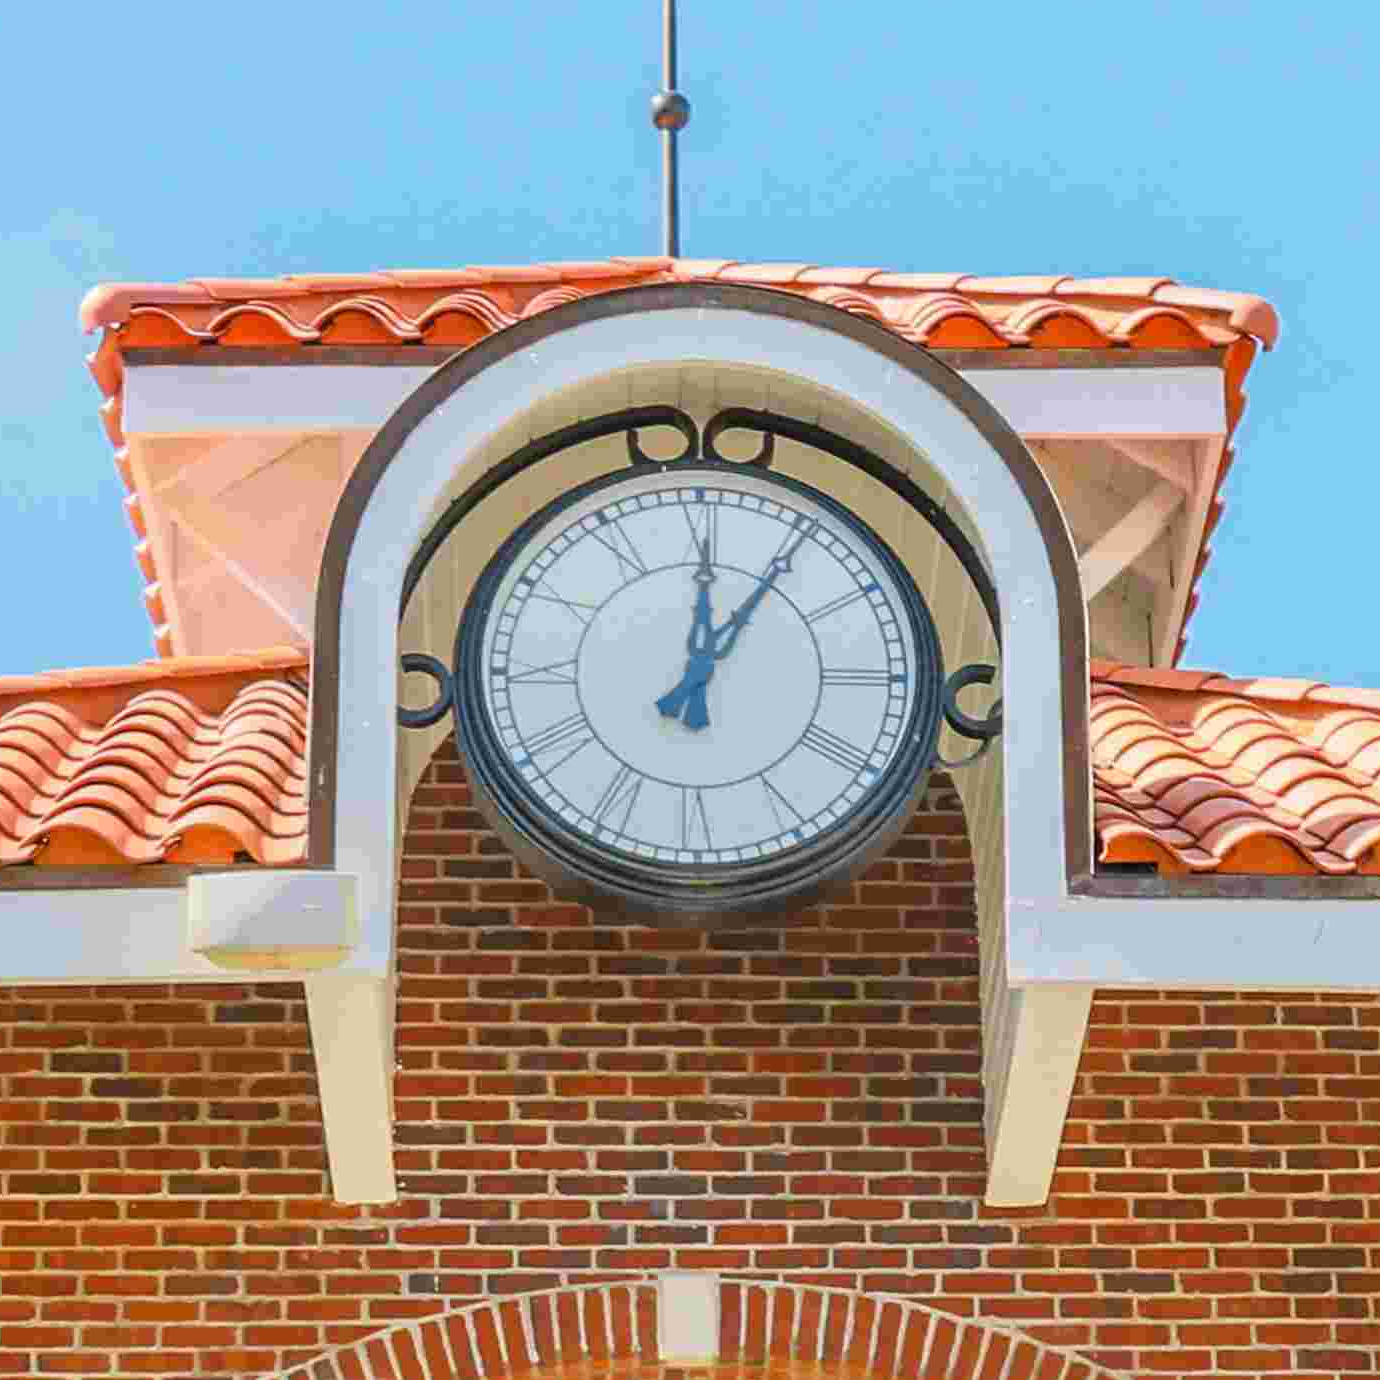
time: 12:05
